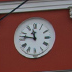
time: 11:46
